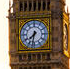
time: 7:32
